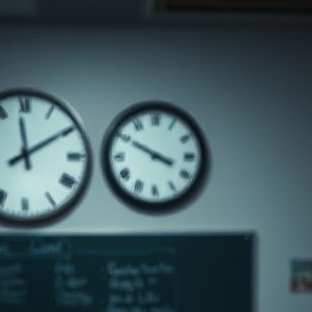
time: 3:49
